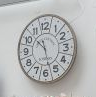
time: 10:27
